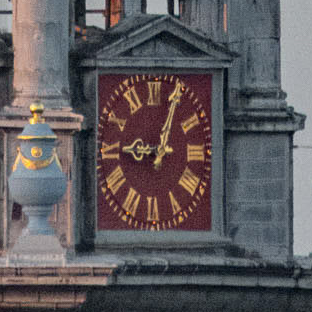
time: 9:04
